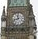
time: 11:42
